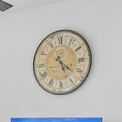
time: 5:21
